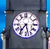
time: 5:36
